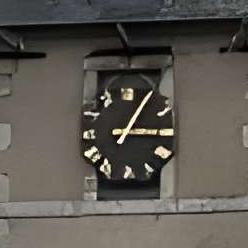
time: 3:05
